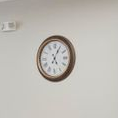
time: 5:04
